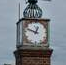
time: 12:47
